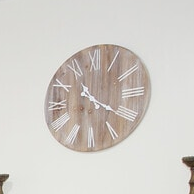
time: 10:20
